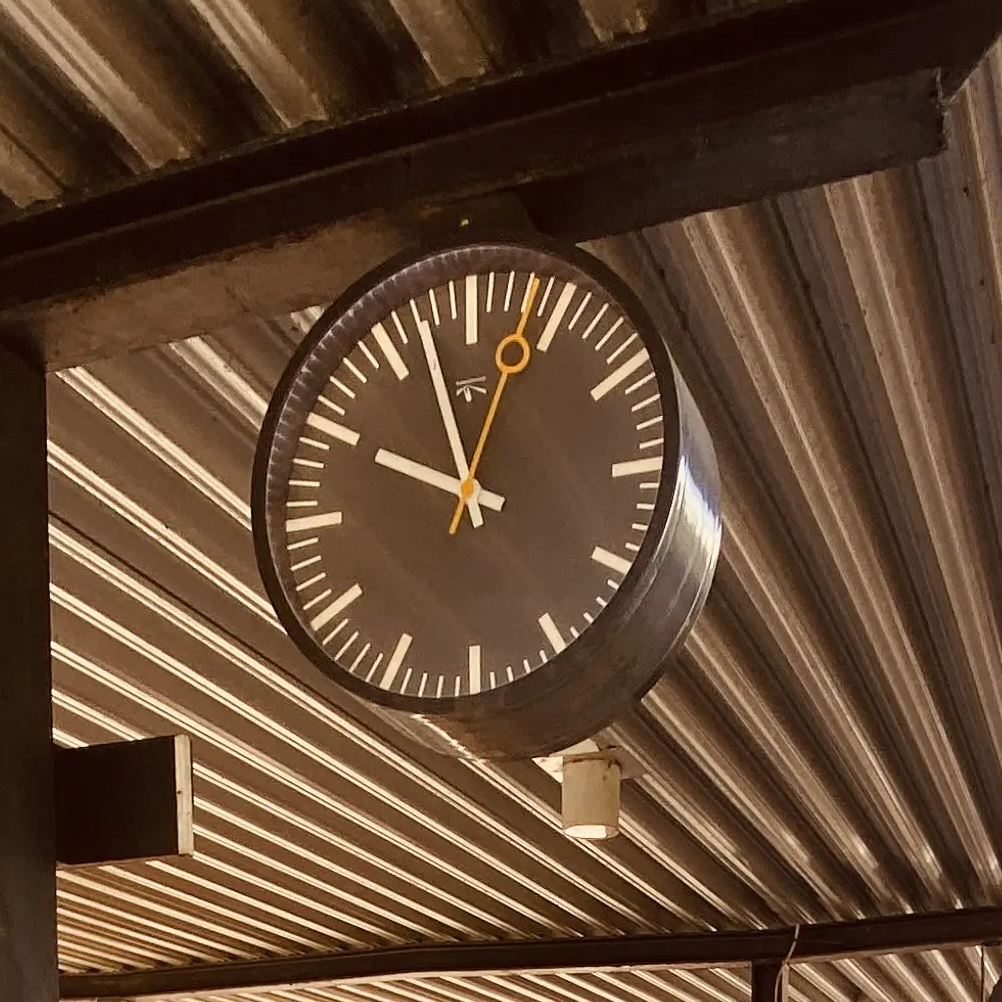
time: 9:57
